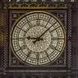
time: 9:07
